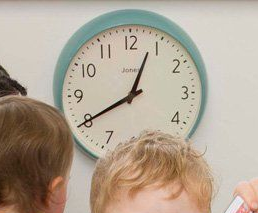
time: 12:40
